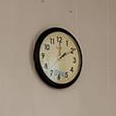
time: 2:00
